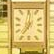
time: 7:01
